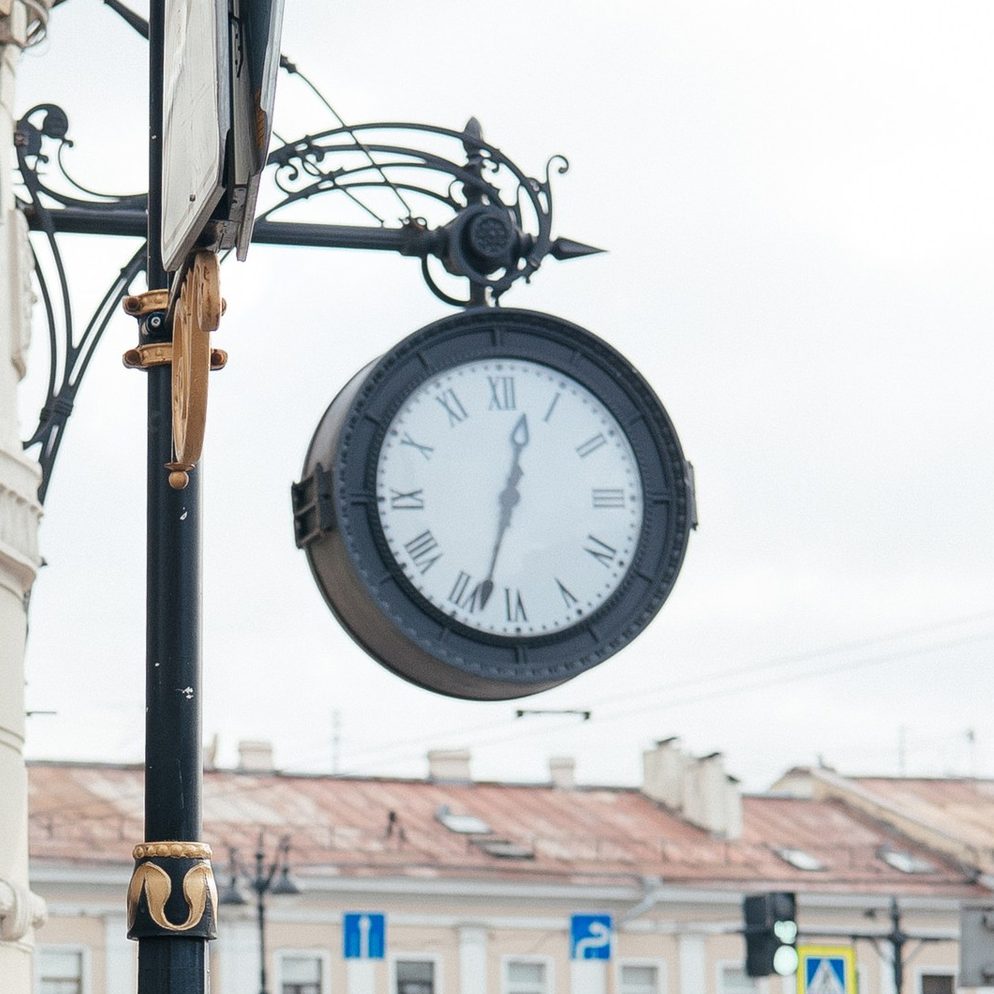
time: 12:32
